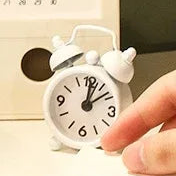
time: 12:07
